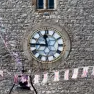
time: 11:45
